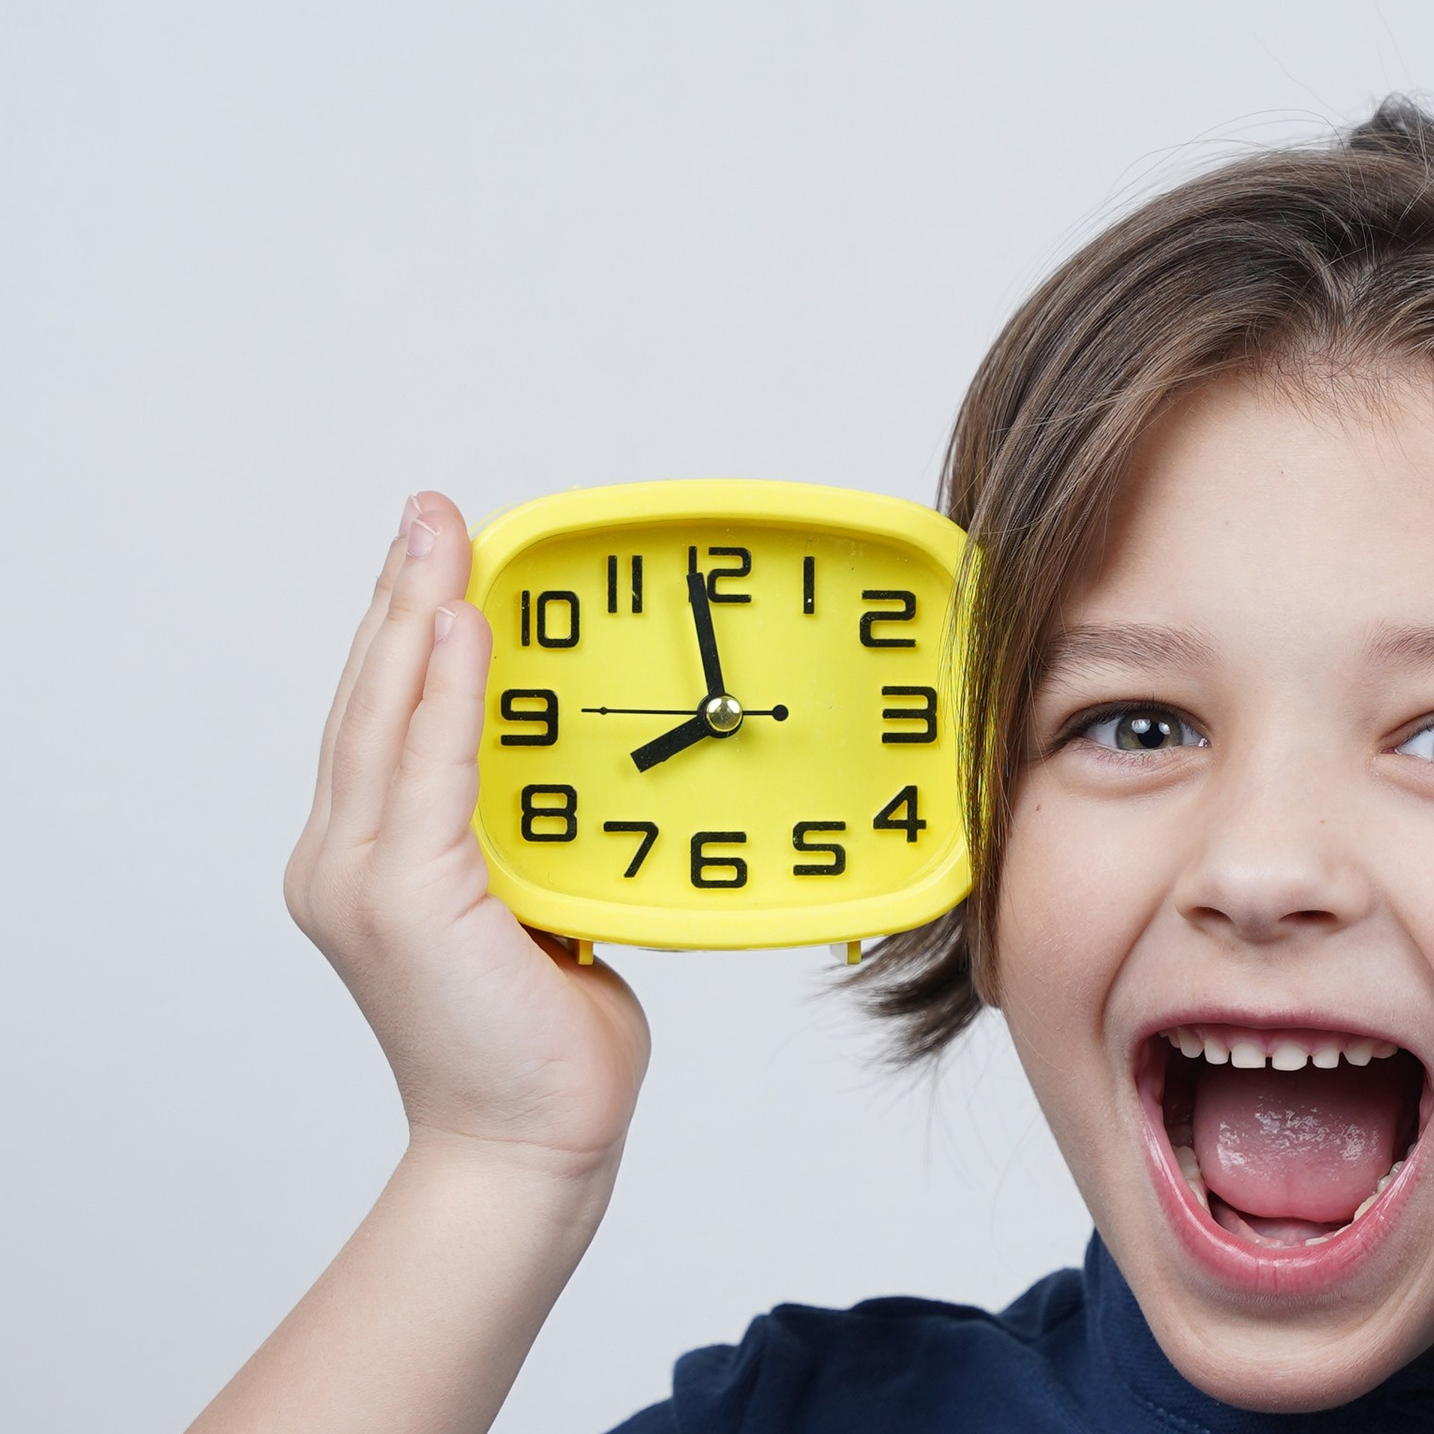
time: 7:58
